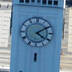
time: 4:09
